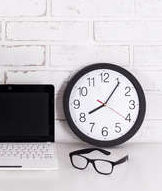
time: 8:05
